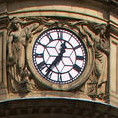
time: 12:36
